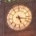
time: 5:17
